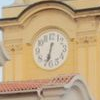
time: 6:32
